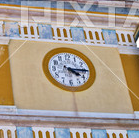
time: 4:14
